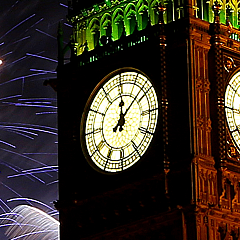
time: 12:07
